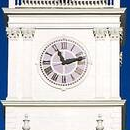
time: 11:12
